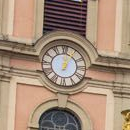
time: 1:01
